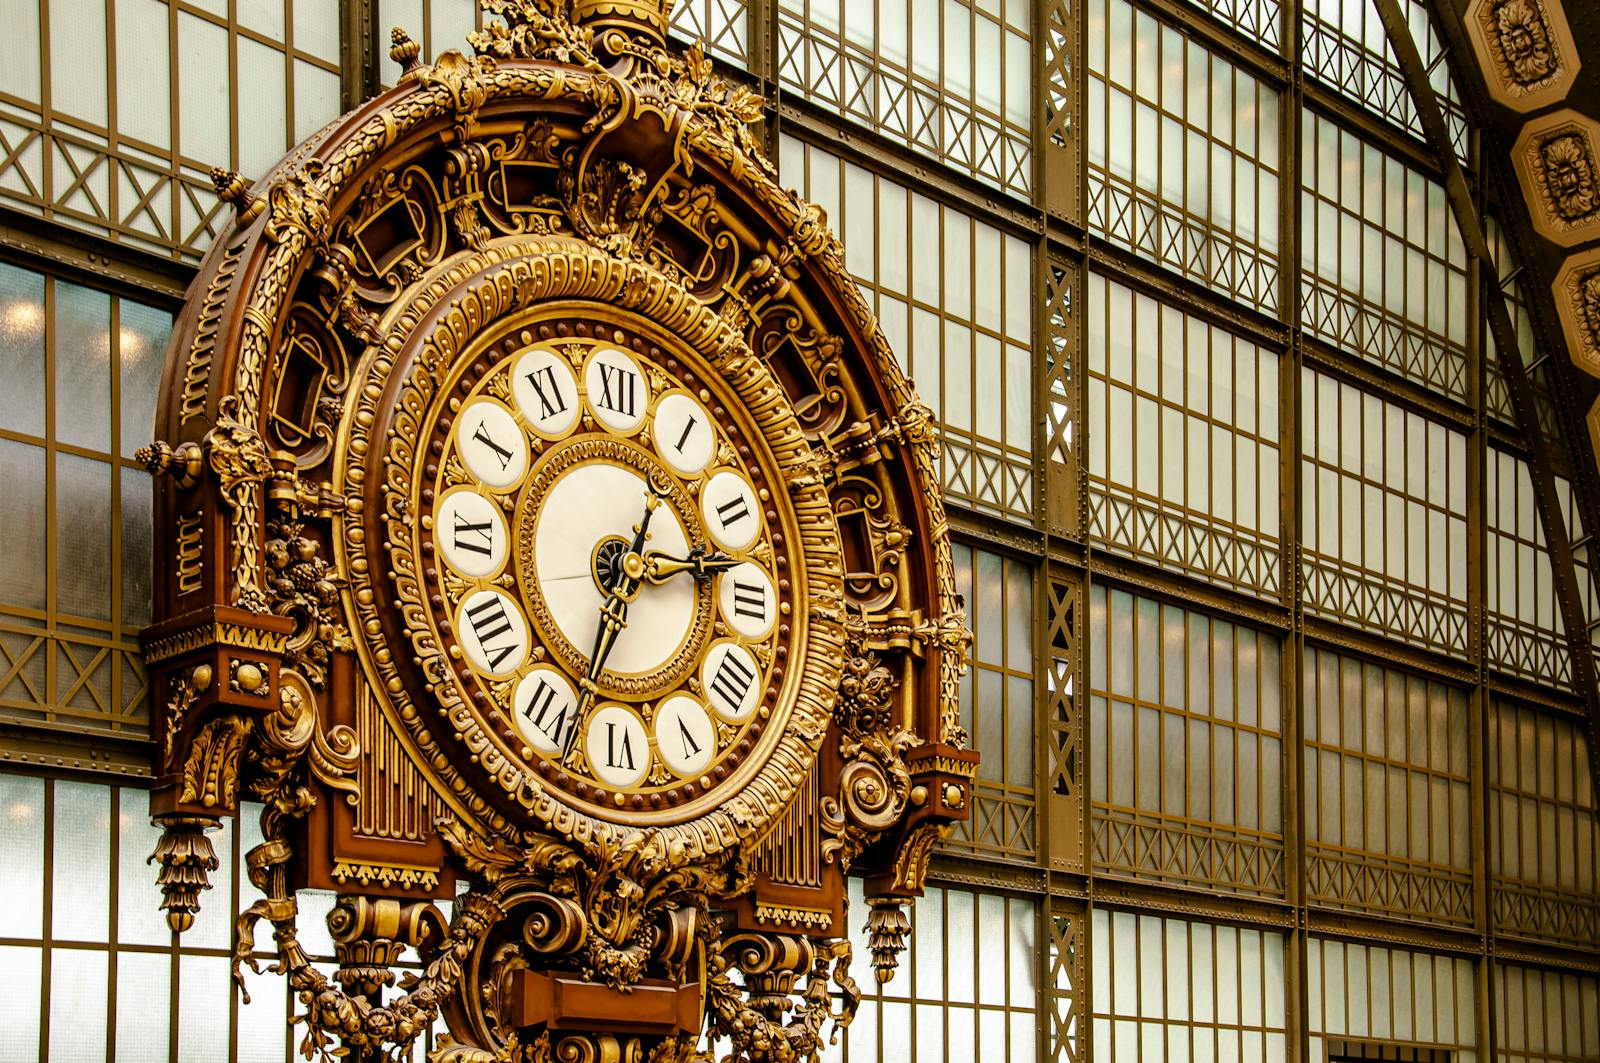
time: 2:33
